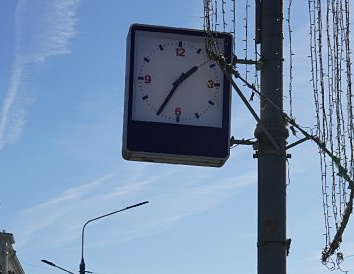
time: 1:34
